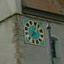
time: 12:37
